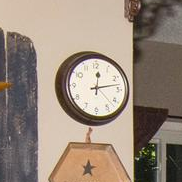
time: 12:13
